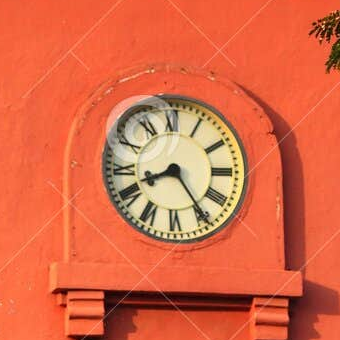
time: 8:24
